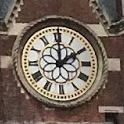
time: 2:00
